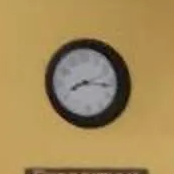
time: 8:16
